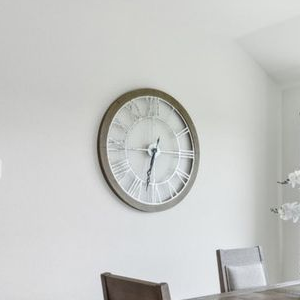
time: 6:32
